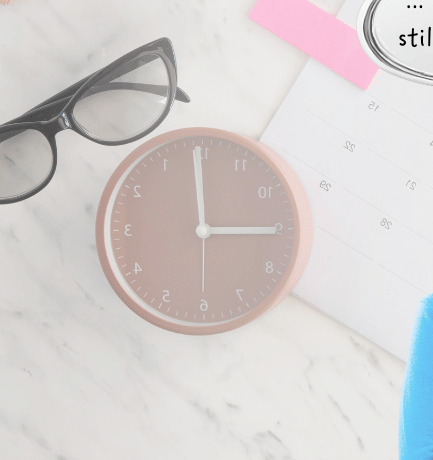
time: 2:59
